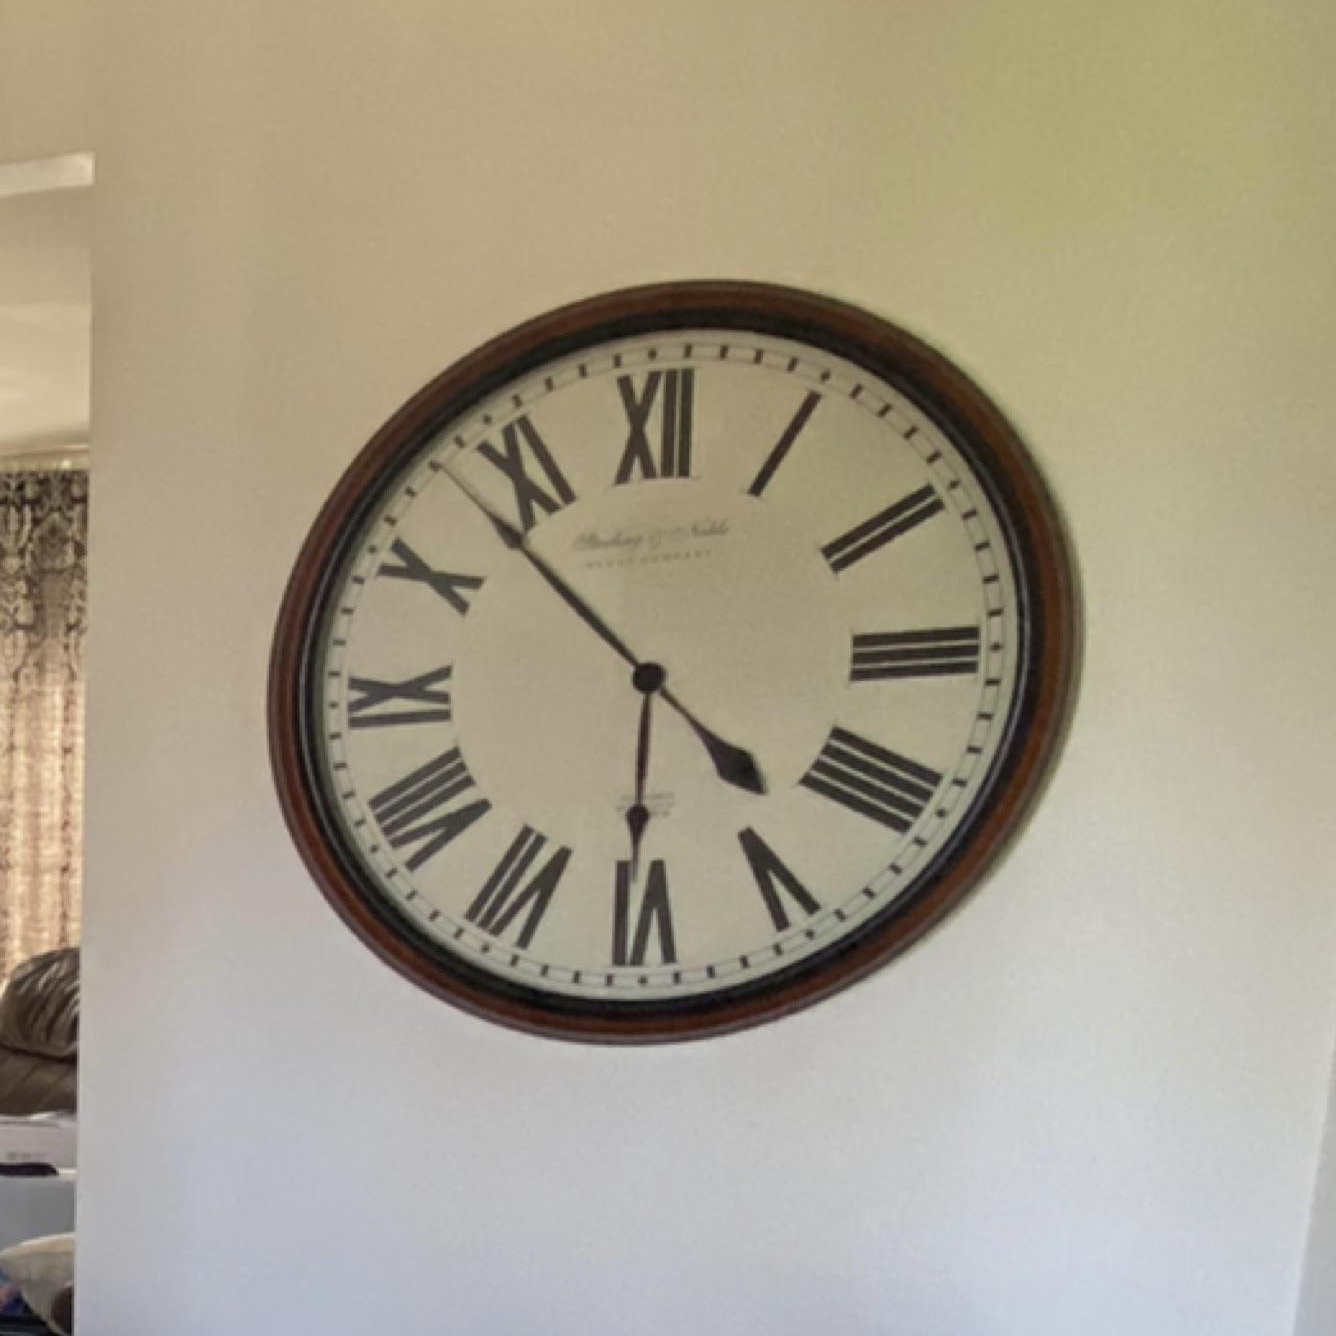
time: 4:30
